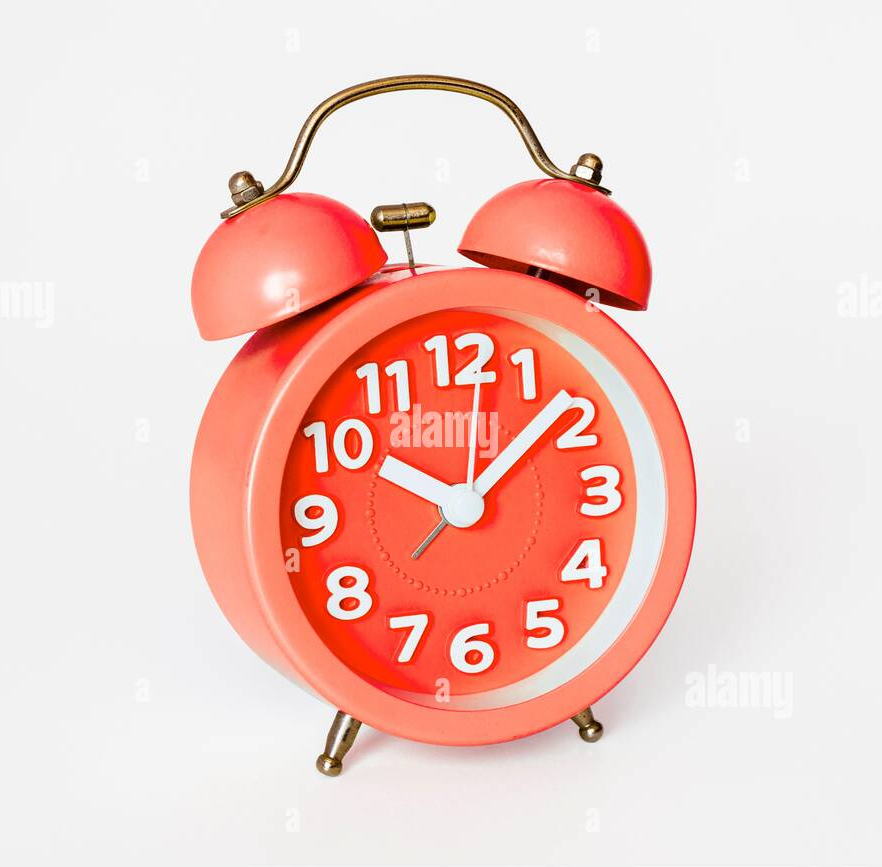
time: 10:08
